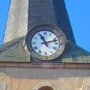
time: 11:12
